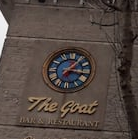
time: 1:16
